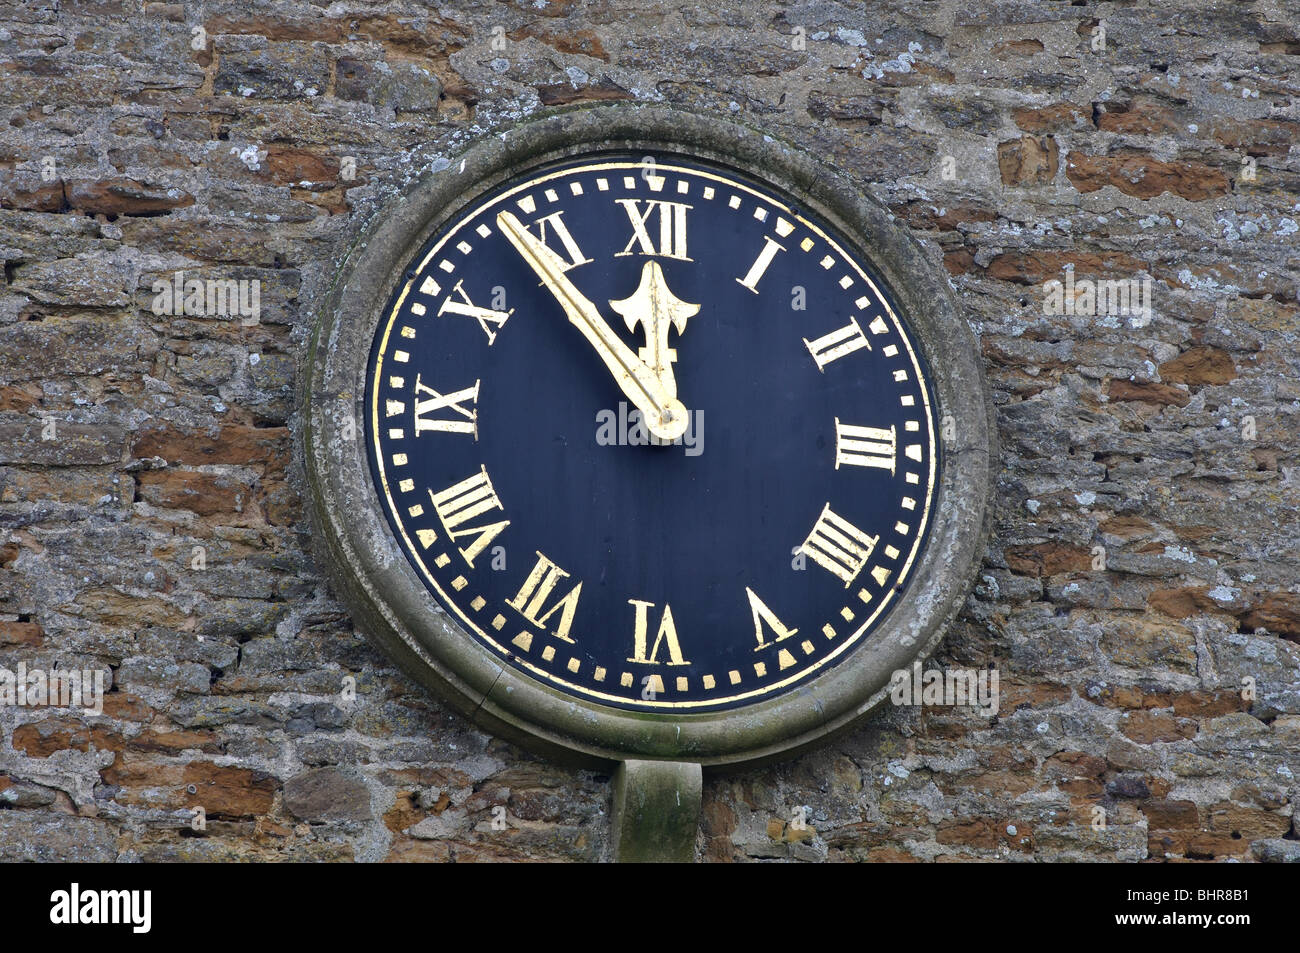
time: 11:53
